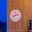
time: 8:12
